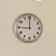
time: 8:59
